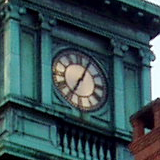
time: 7:04
